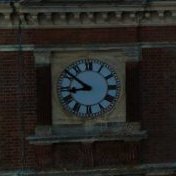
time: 8:51
